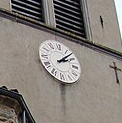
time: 2:07
